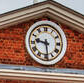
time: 9:28
